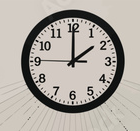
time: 2:00
